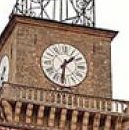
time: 1:31
